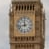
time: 11:43
